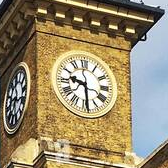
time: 9:29
